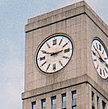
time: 2:48
